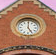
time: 5:00
